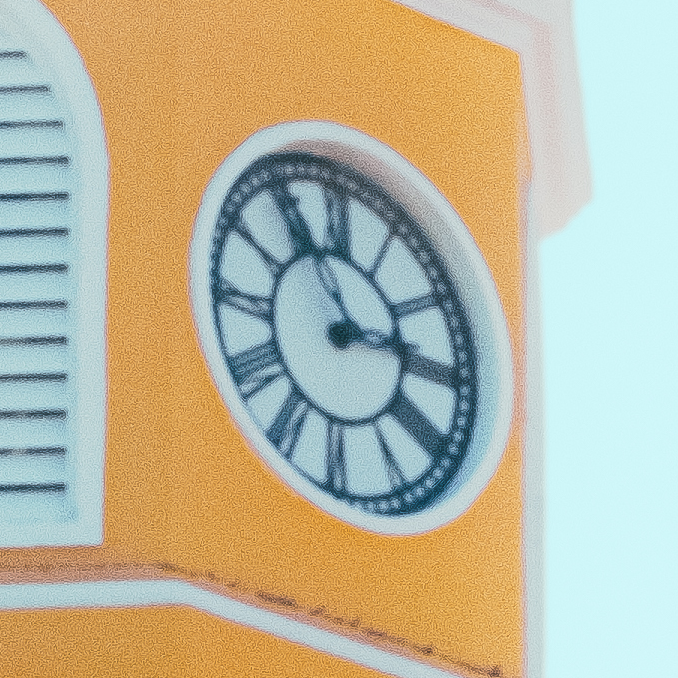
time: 2:54
